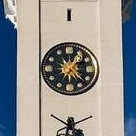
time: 1:22
